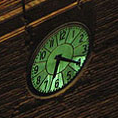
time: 6:20
